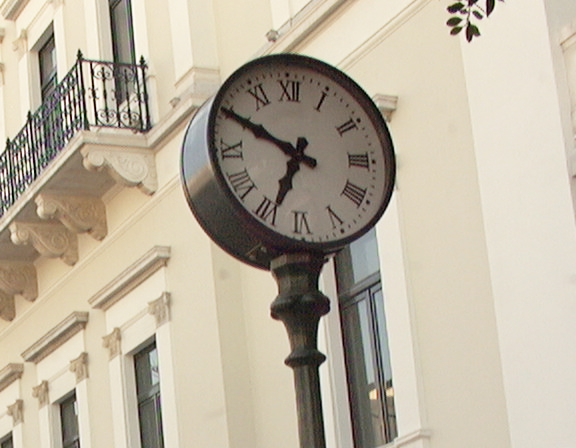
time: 6:49
